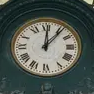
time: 12:06
